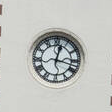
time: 12:17
